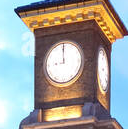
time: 8:59
